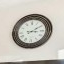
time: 3:10
